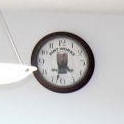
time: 4:32
